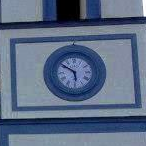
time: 5:51
